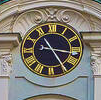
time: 3:24
